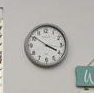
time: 3:51
